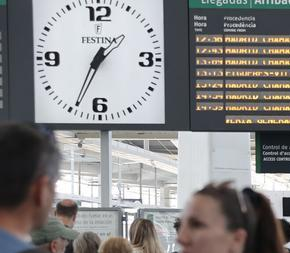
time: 1:34
